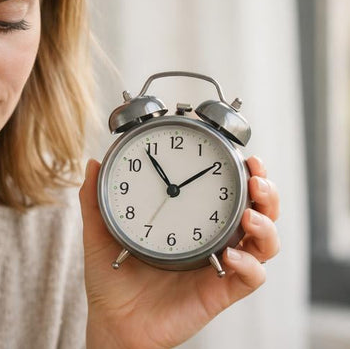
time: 1:53
